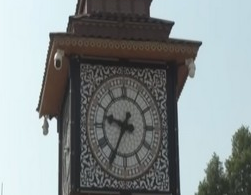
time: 9:35
